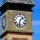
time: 1:32
